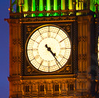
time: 4:23
